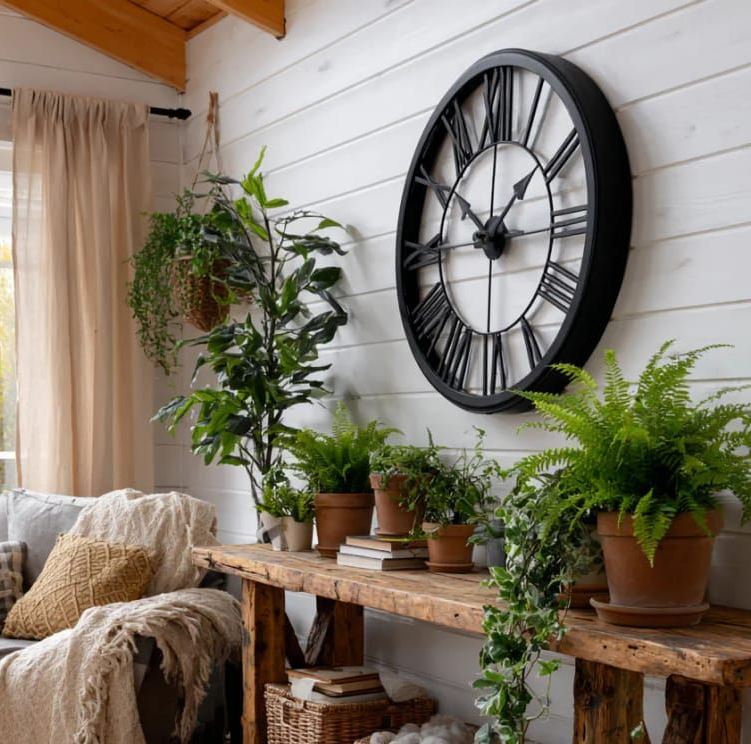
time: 1:50
